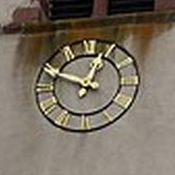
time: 12:49
